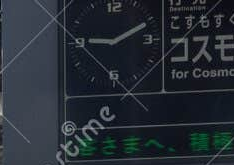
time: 9:10
